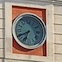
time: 6:40
